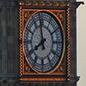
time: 7:58
